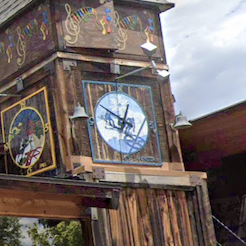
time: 12:49
